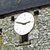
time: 2:48
